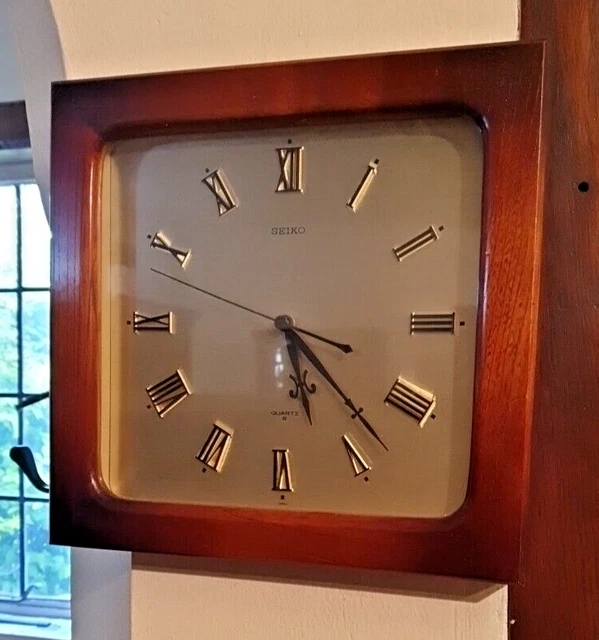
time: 5:22
